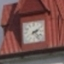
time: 2:23
